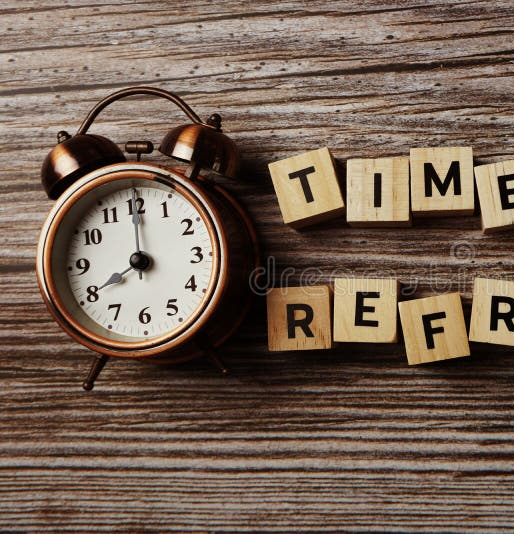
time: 8:00
